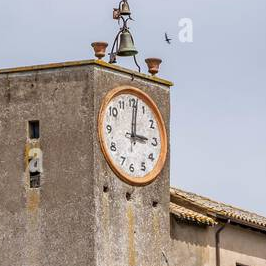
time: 3:01
